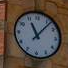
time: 11:06
